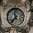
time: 11:36
